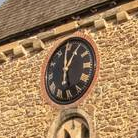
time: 12:59
